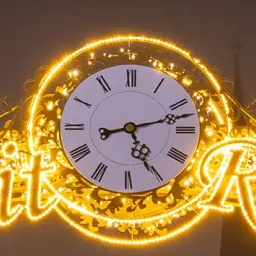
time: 5:12
